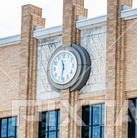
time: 11:31
